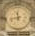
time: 11:42
